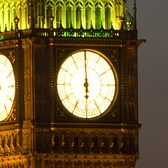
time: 5:59
